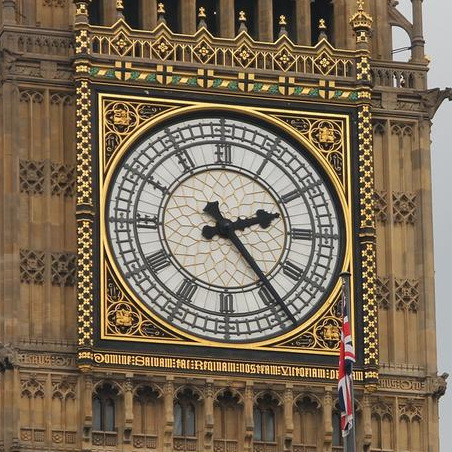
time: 2:23
